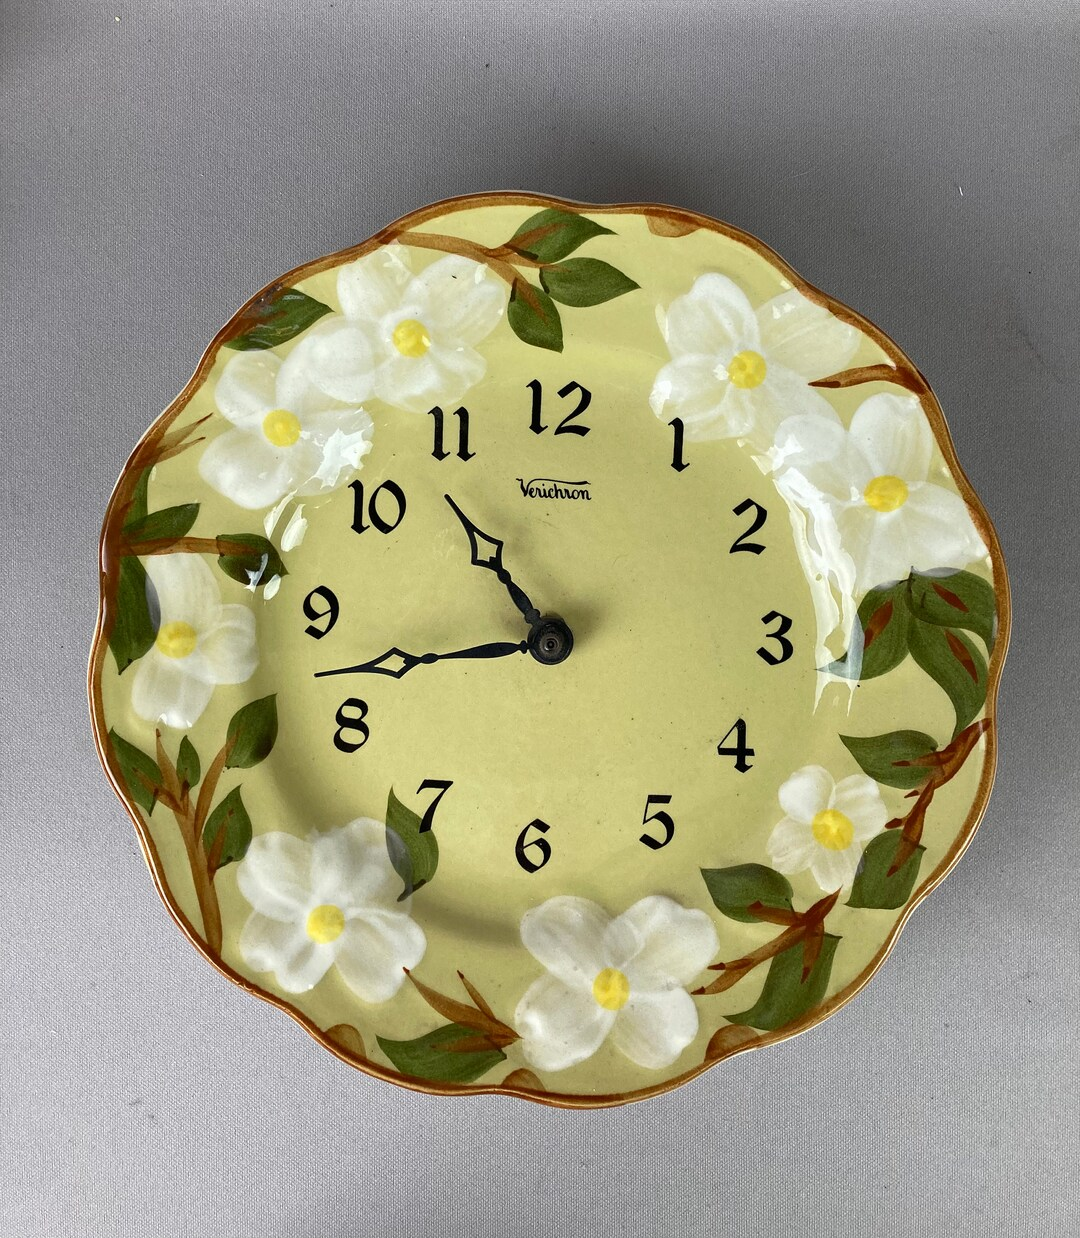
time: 10:42
